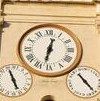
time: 12:32
